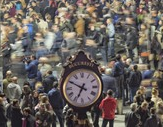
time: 6:49
